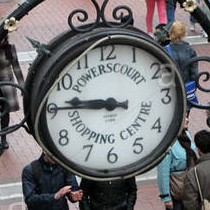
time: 9:45
